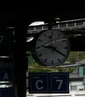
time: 9:20
